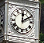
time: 12:10
